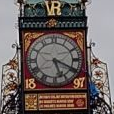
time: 5:19
